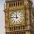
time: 11:46
